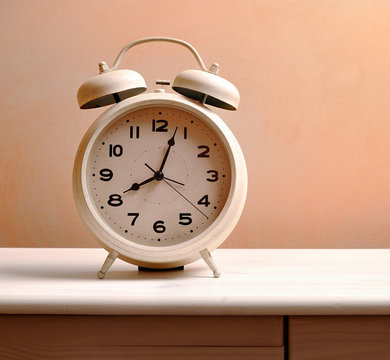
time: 8:03
